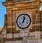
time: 1:02
